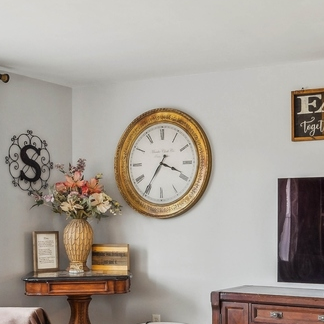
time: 3:35
